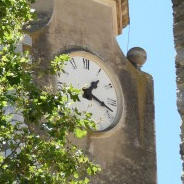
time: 1:18
